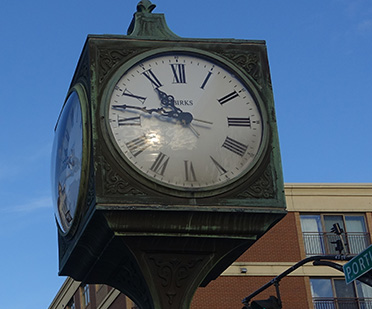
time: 10:47
